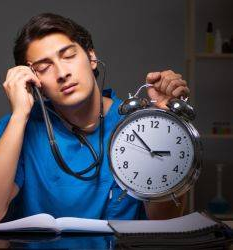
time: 2:52
